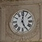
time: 5:00
